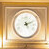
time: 5:11
